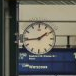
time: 1:43
